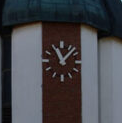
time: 11:07
